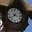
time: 3:37
